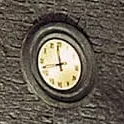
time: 11:42
